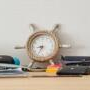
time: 8:34
